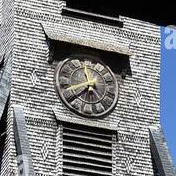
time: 11:38
